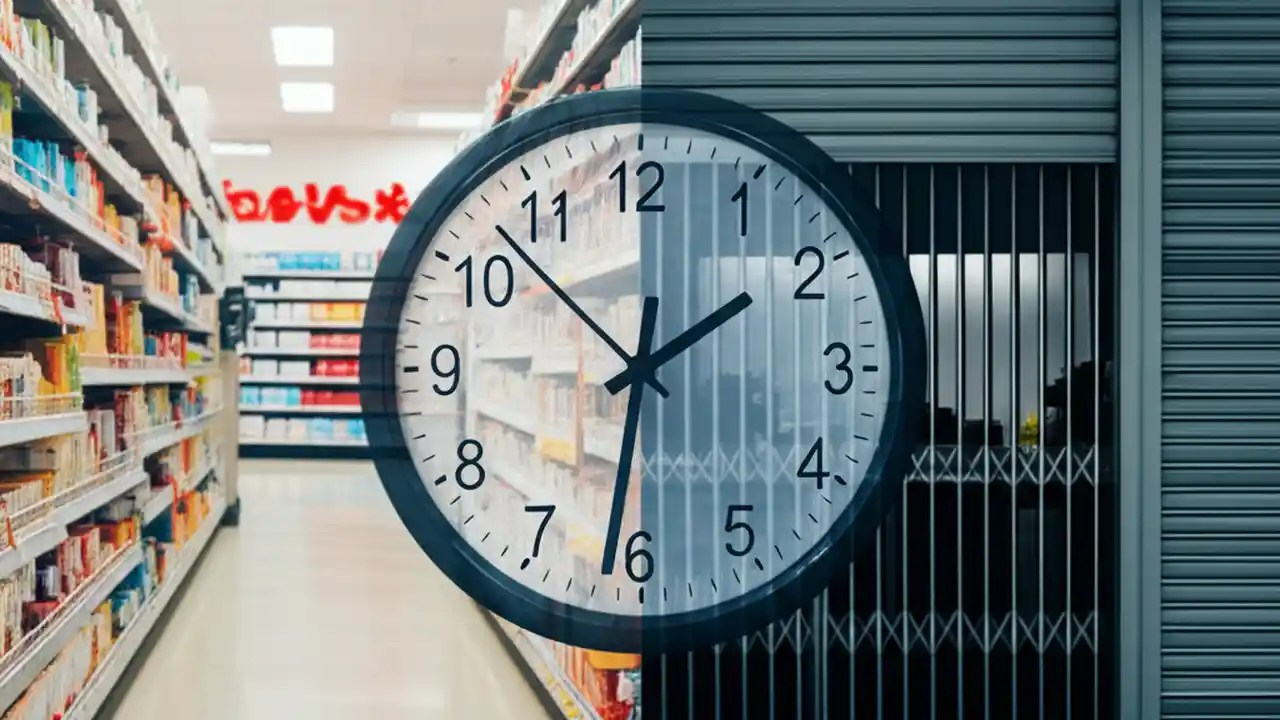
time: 1:52
